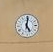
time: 5:01
